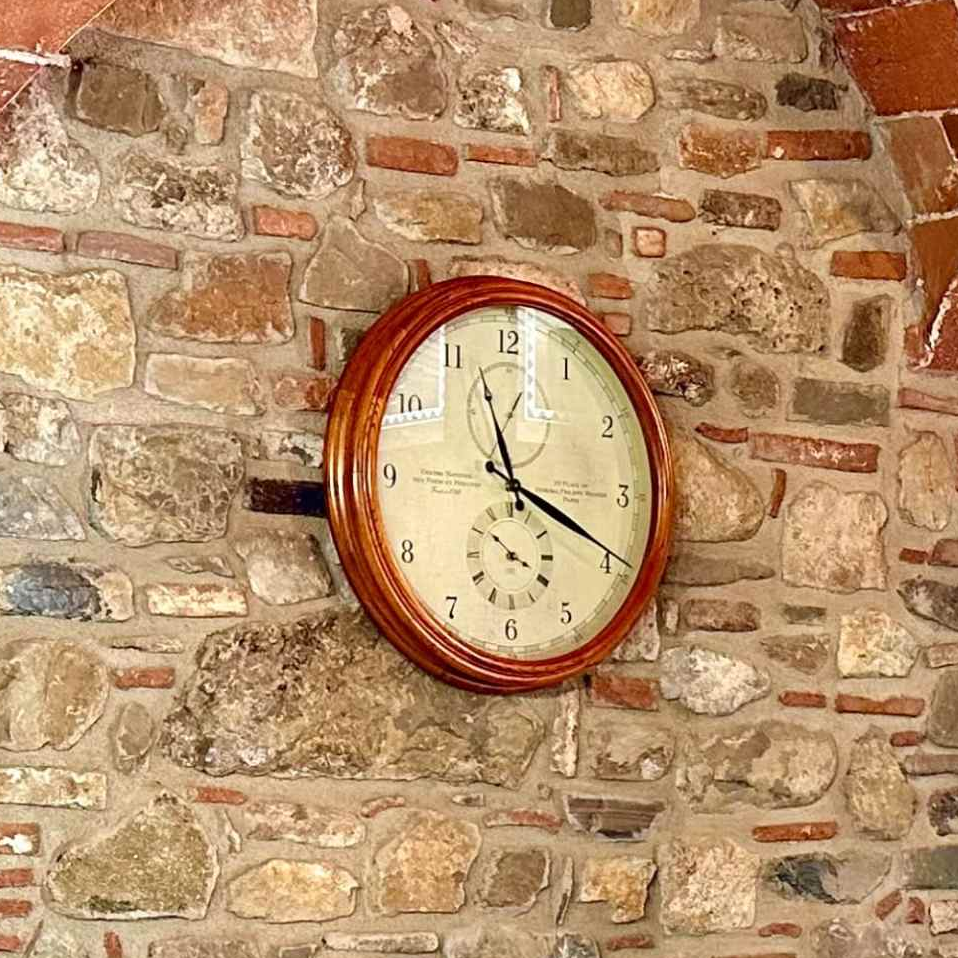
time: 11:19
